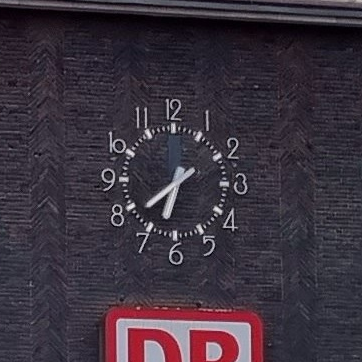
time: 6:38
